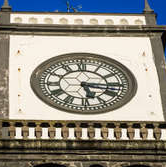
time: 5:15
